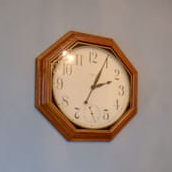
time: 2:04
